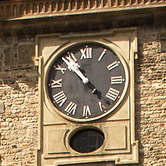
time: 10:53
